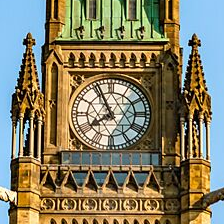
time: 7:55
